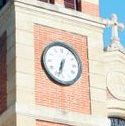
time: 6:32
